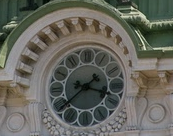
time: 3:38
